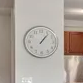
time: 1:06
